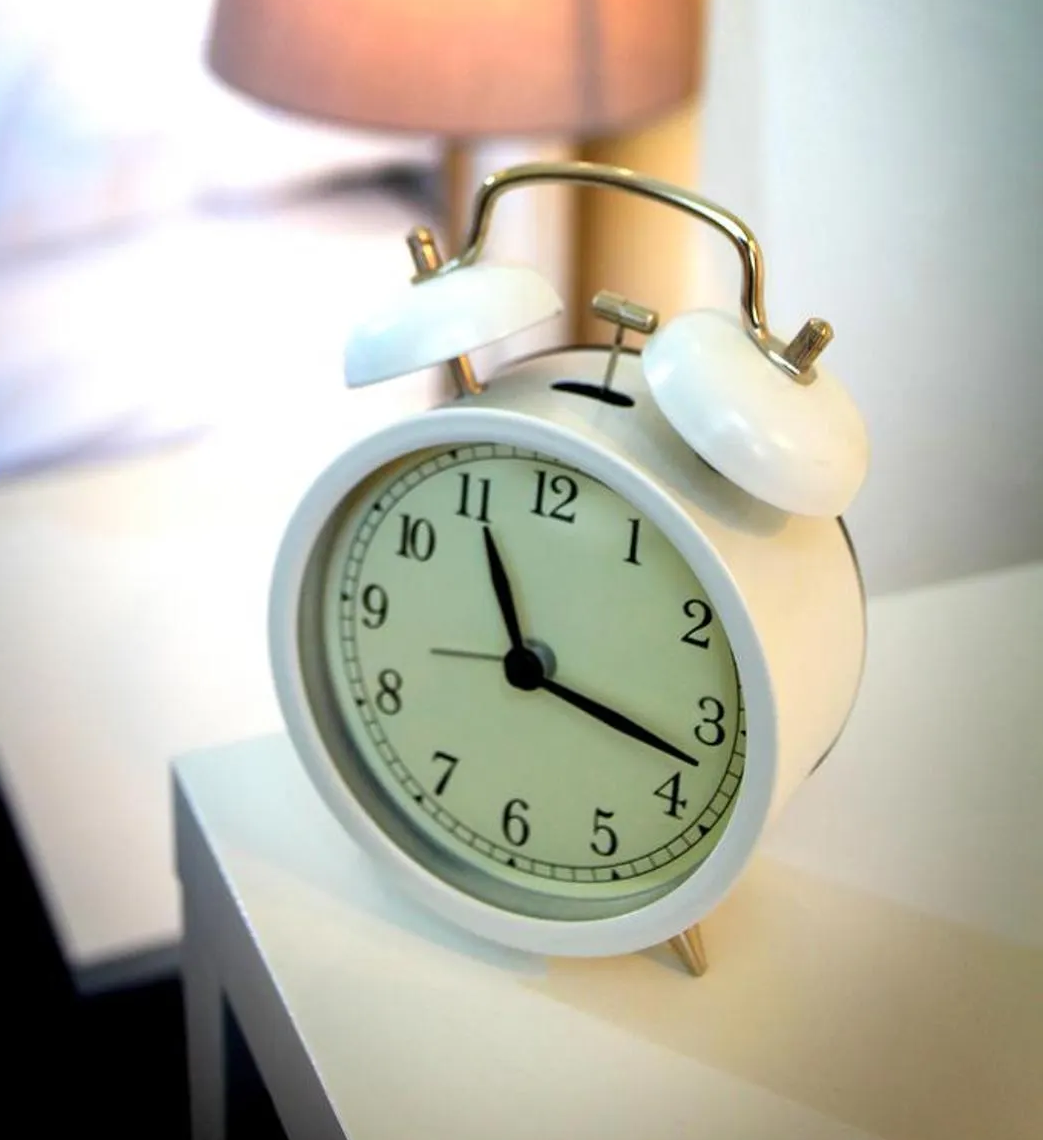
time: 11:17
